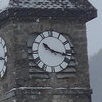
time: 10:17
